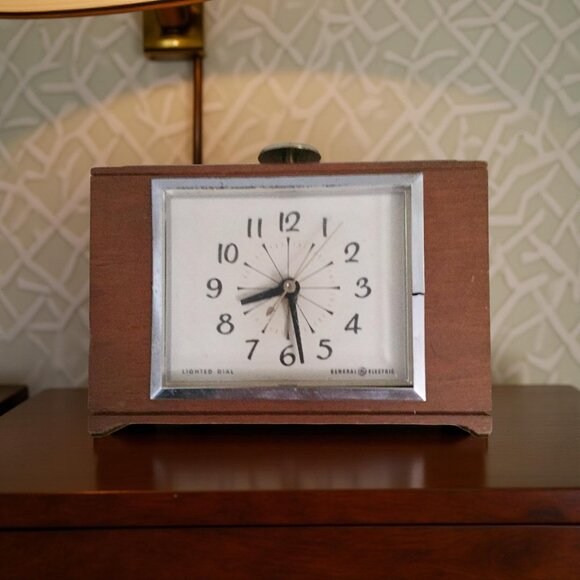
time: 8:28
